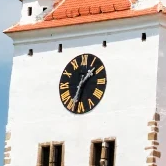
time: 1:33
